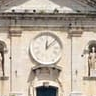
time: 12:07
